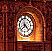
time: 4:37
